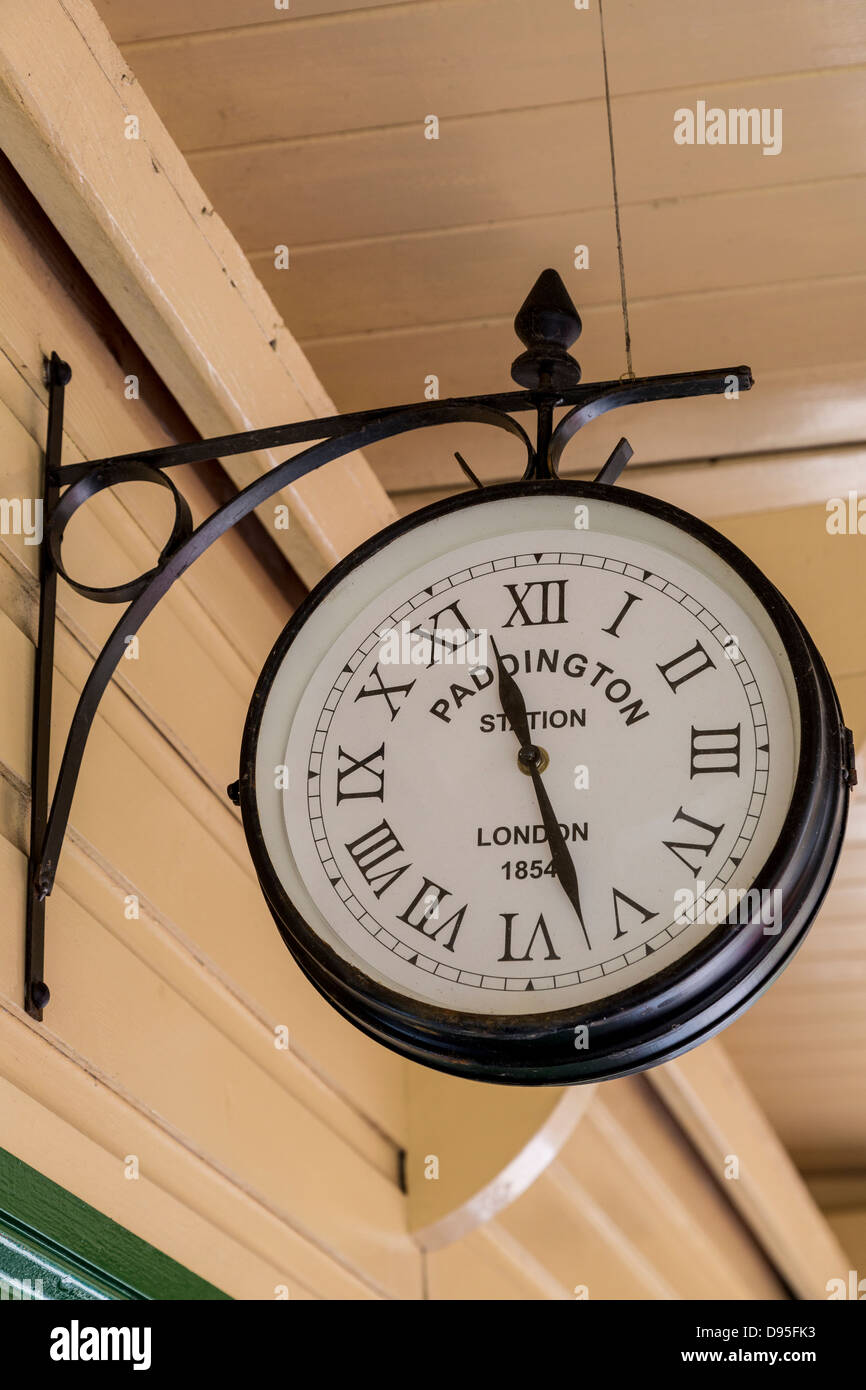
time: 11:27
